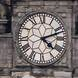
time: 4:11
